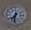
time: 7:32
